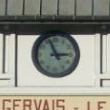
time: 2:56
